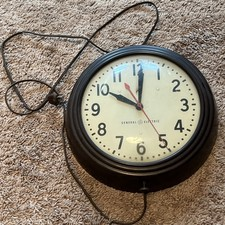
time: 10:00
